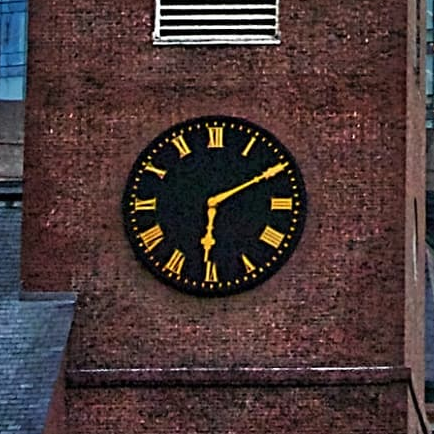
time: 6:10
